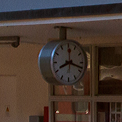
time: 8:18
